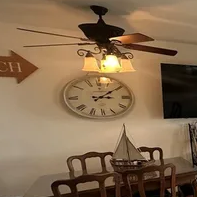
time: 3:09
